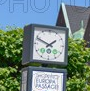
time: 1:49
